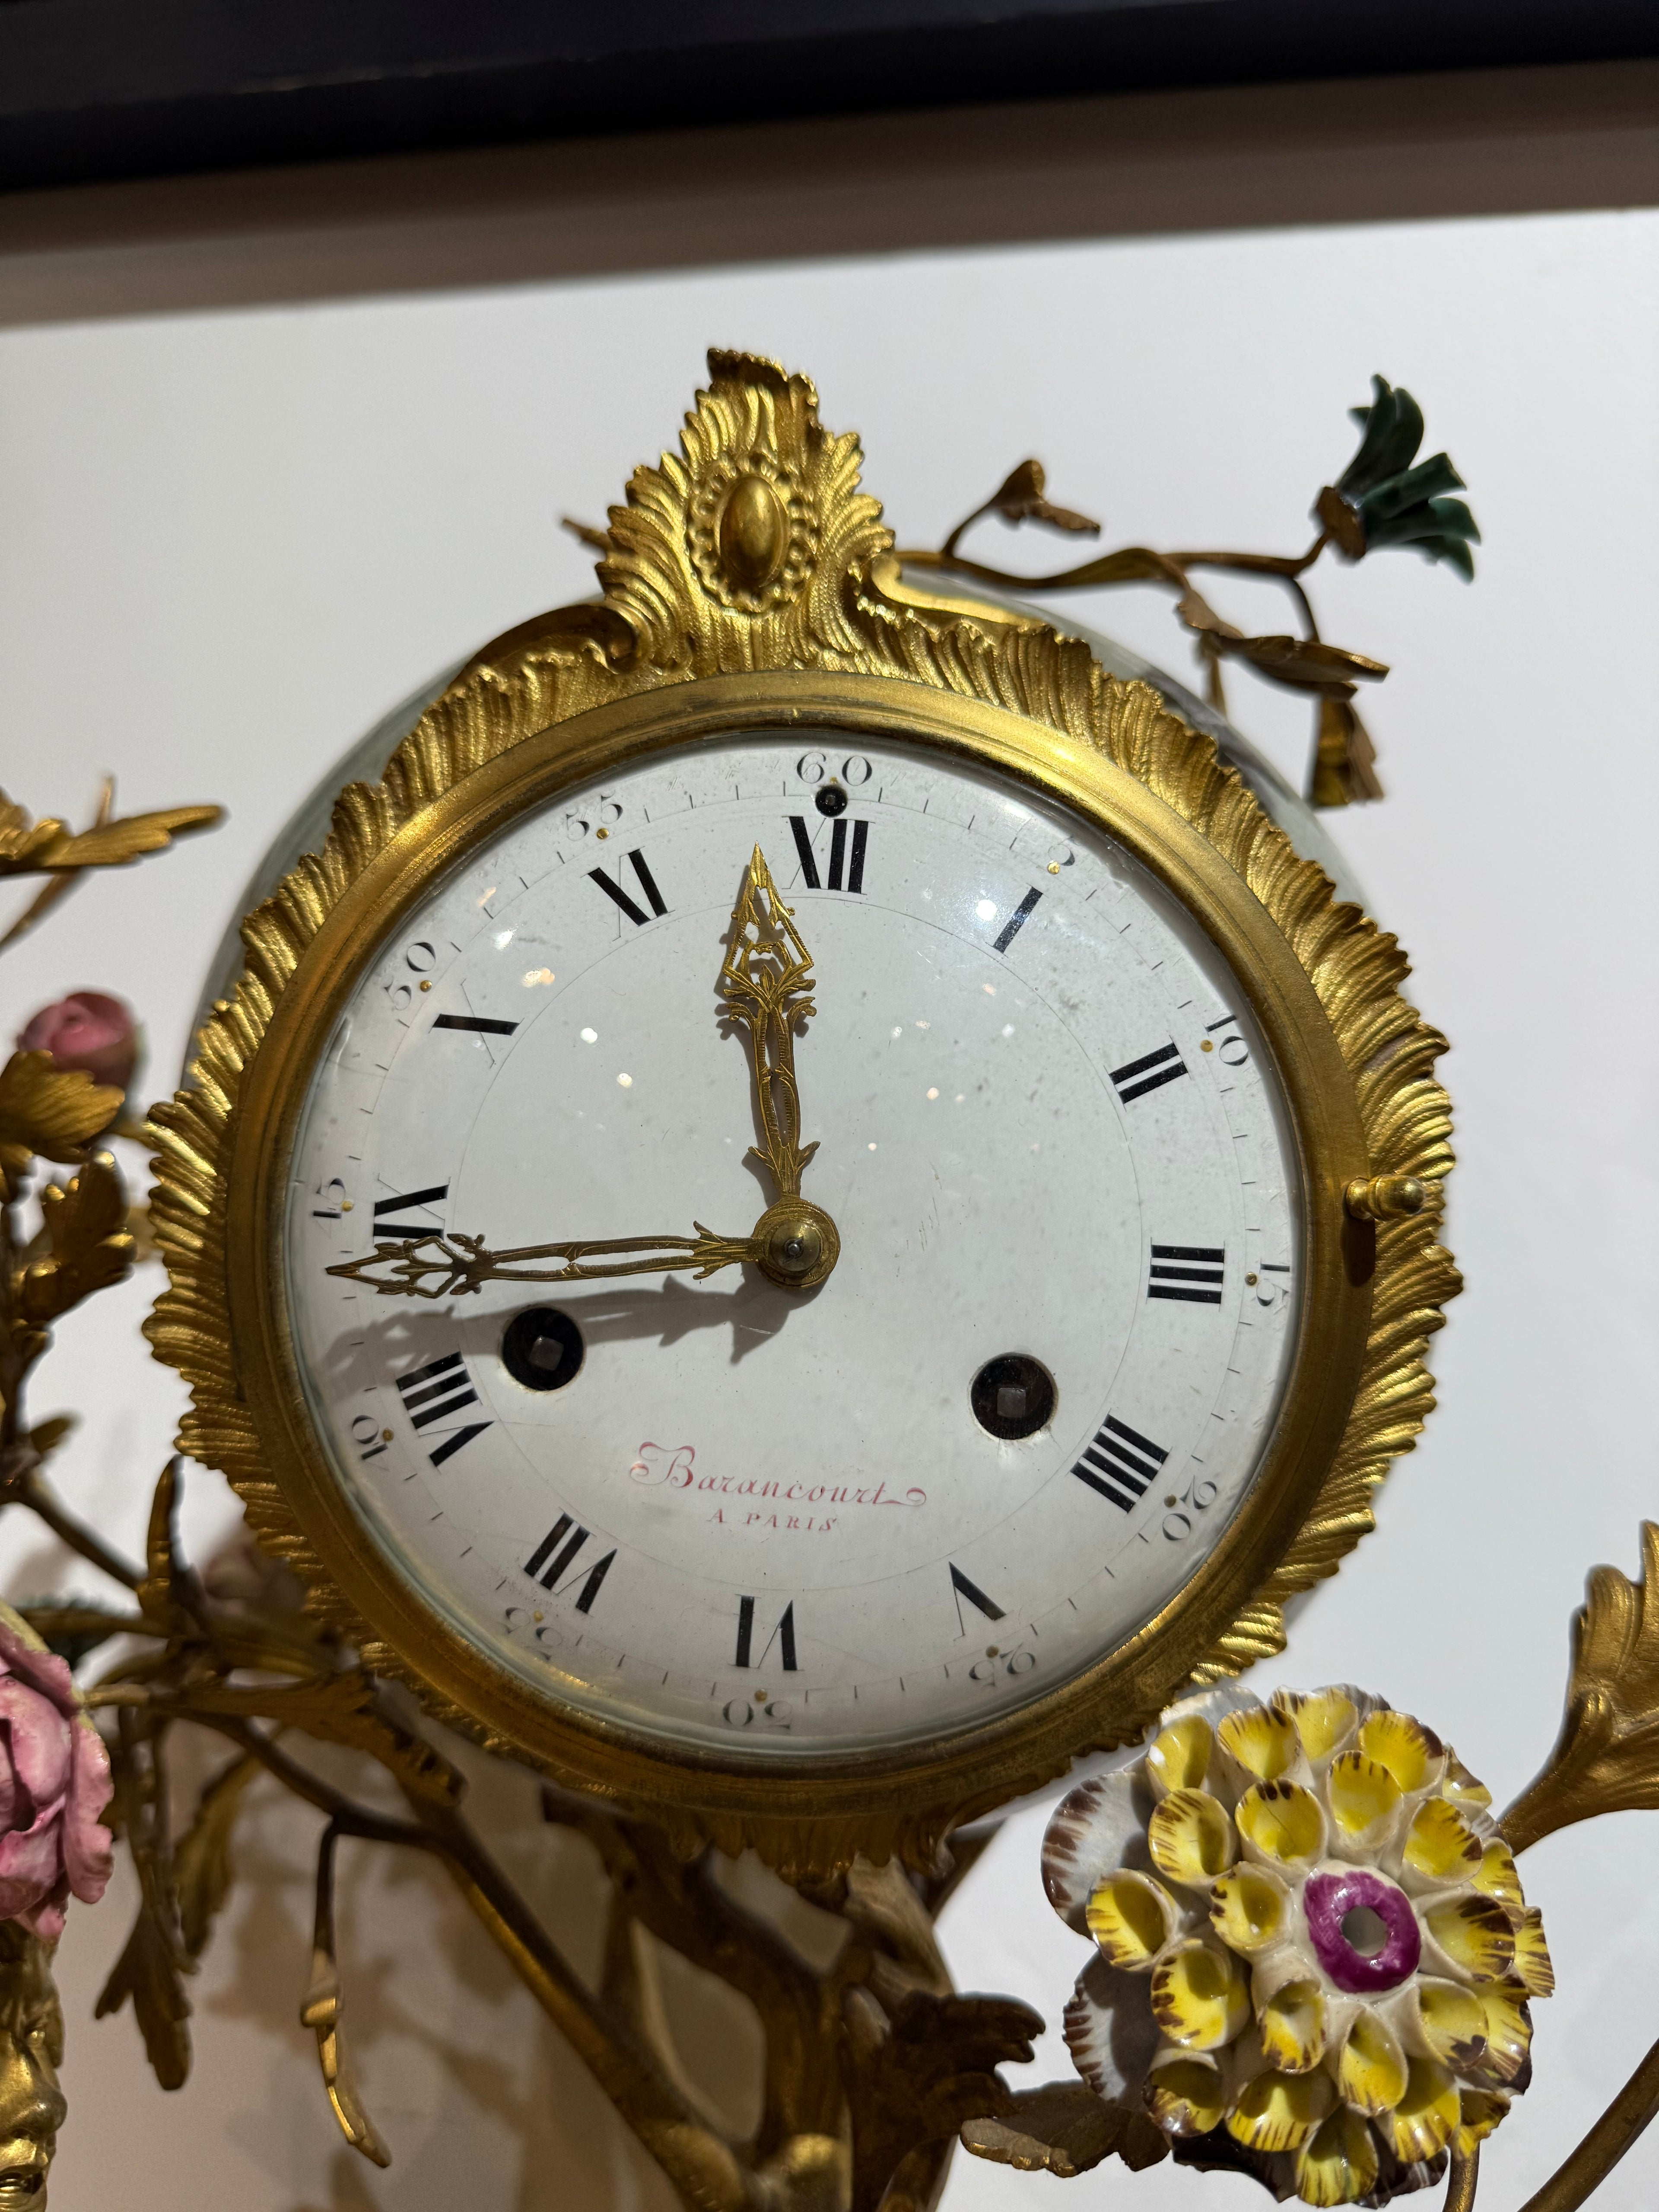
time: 11:42
